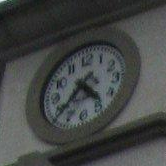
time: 4:37
